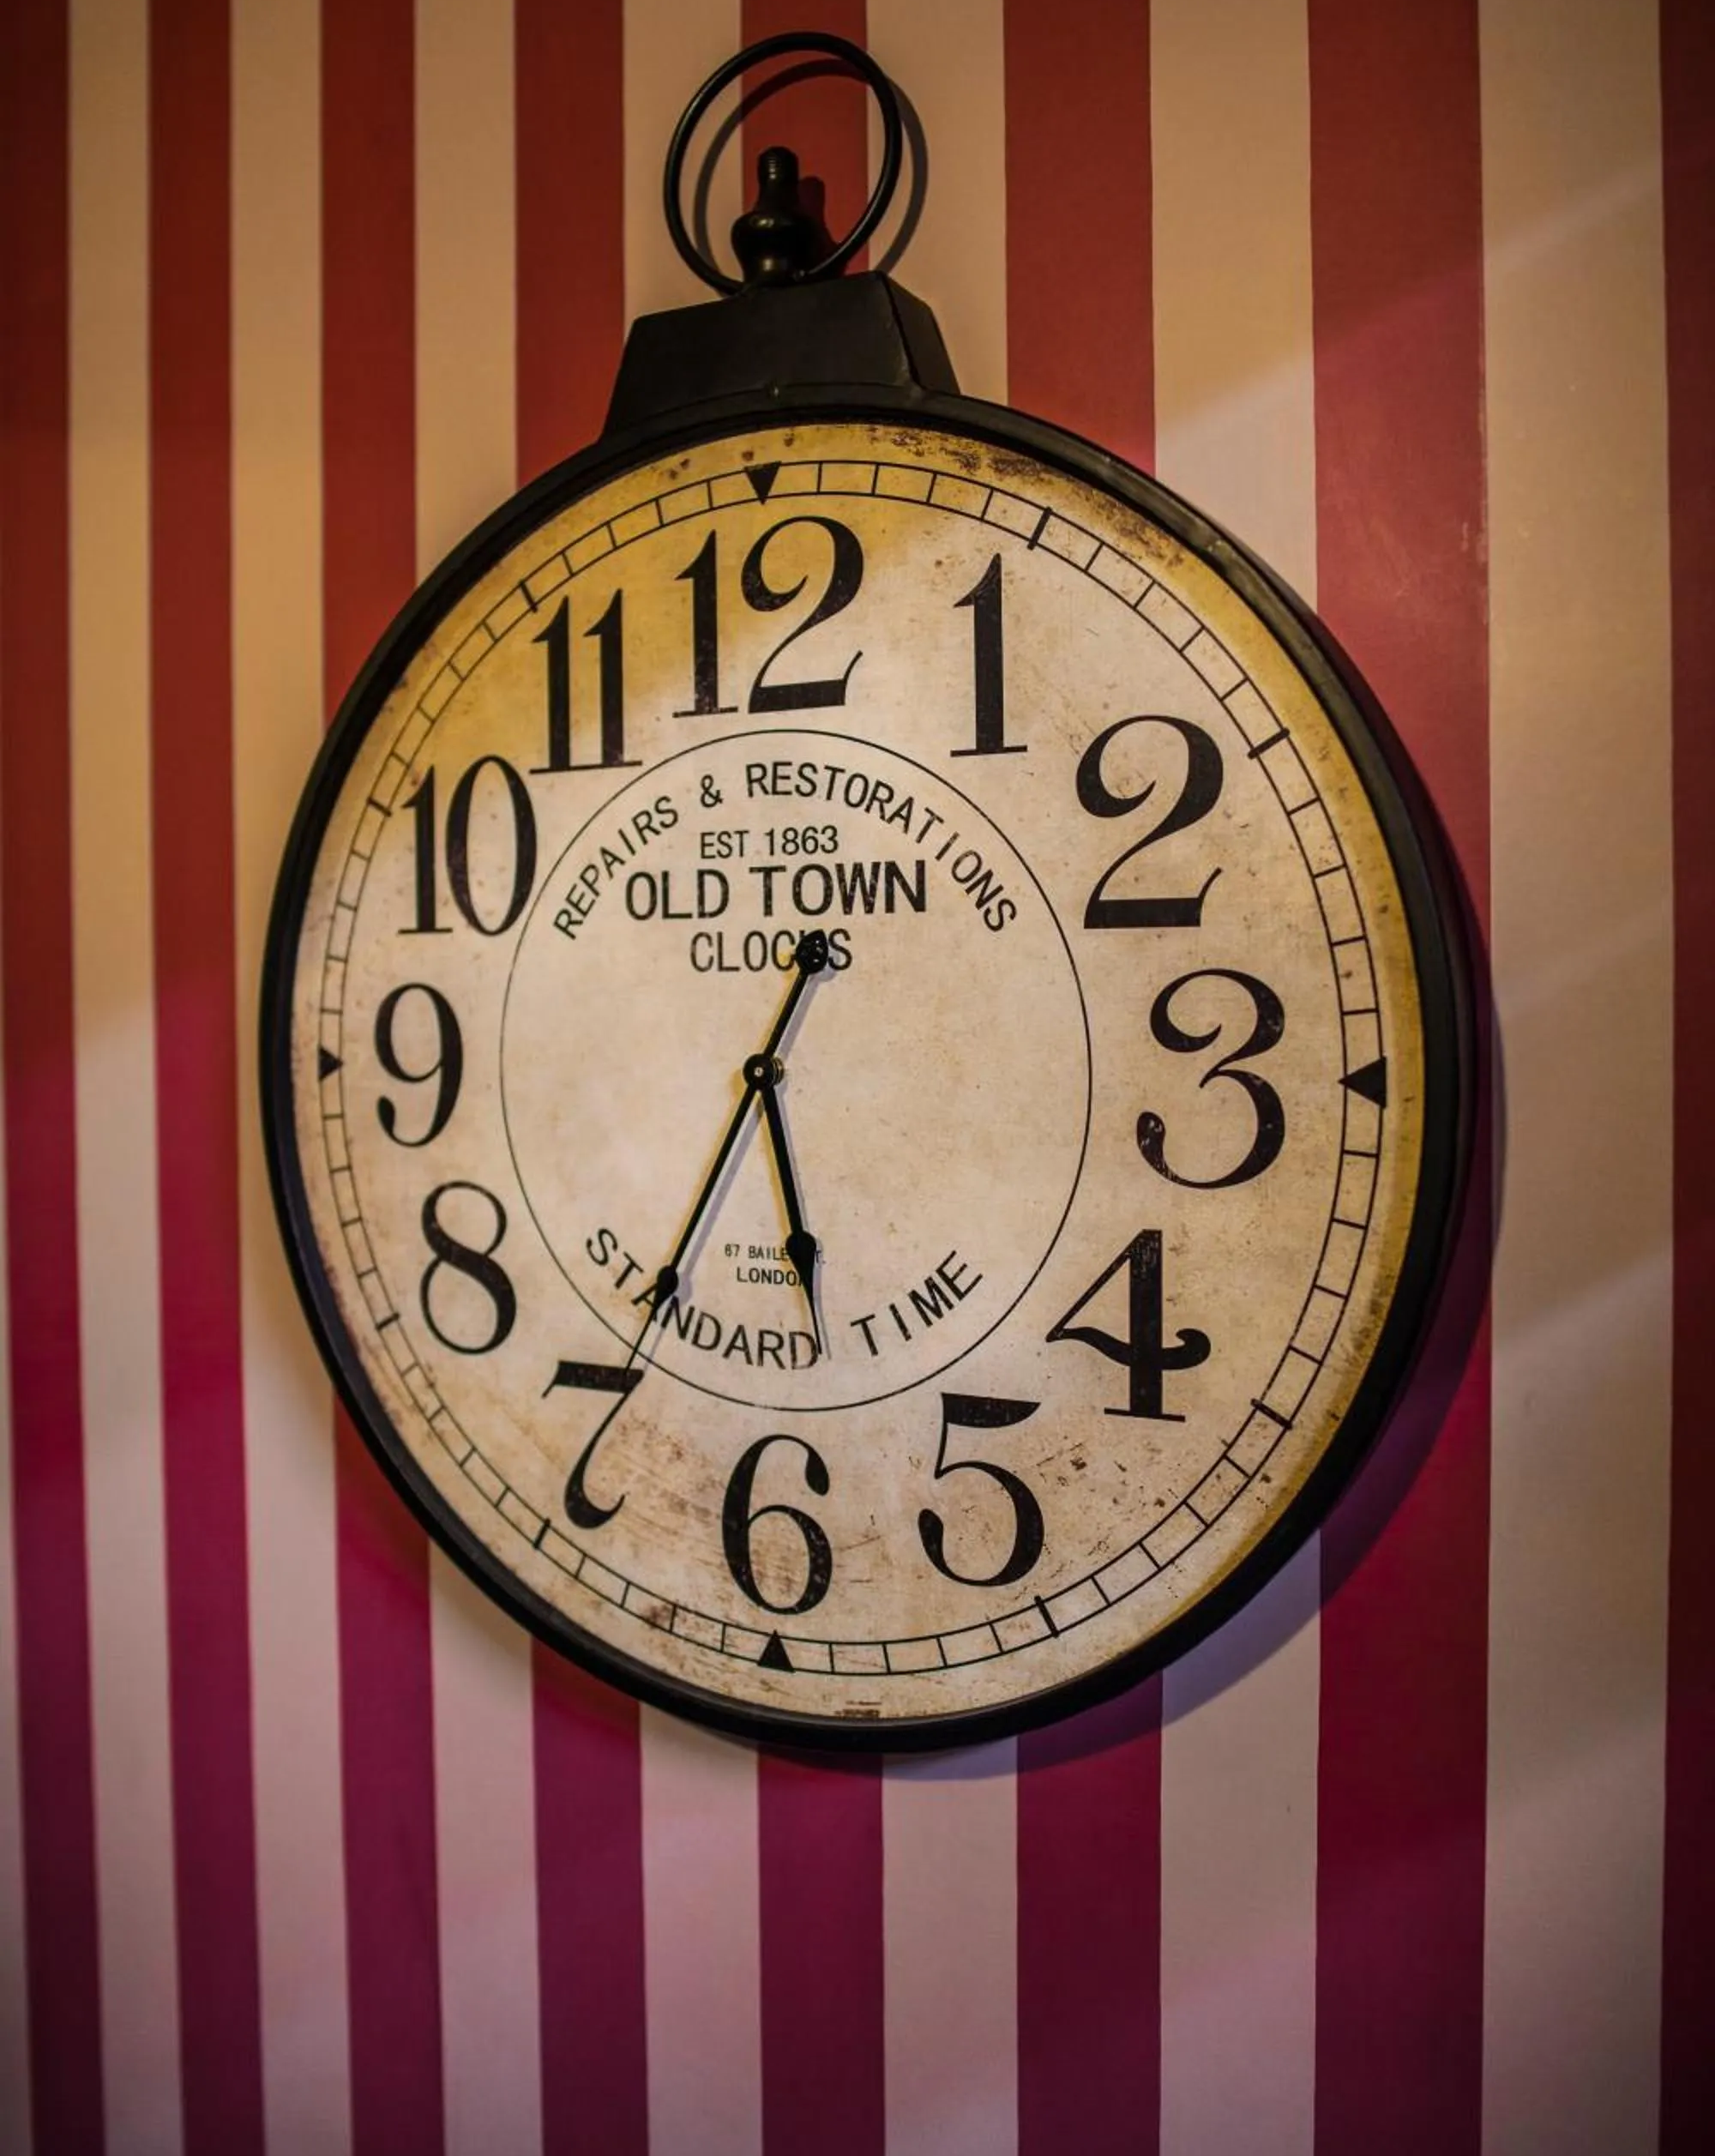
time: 5:34
